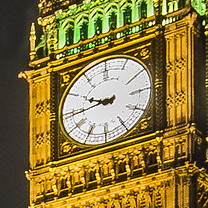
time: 9:43
